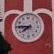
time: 7:45
